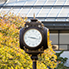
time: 9:17
